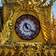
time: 11:20
